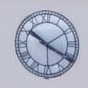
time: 10:20
